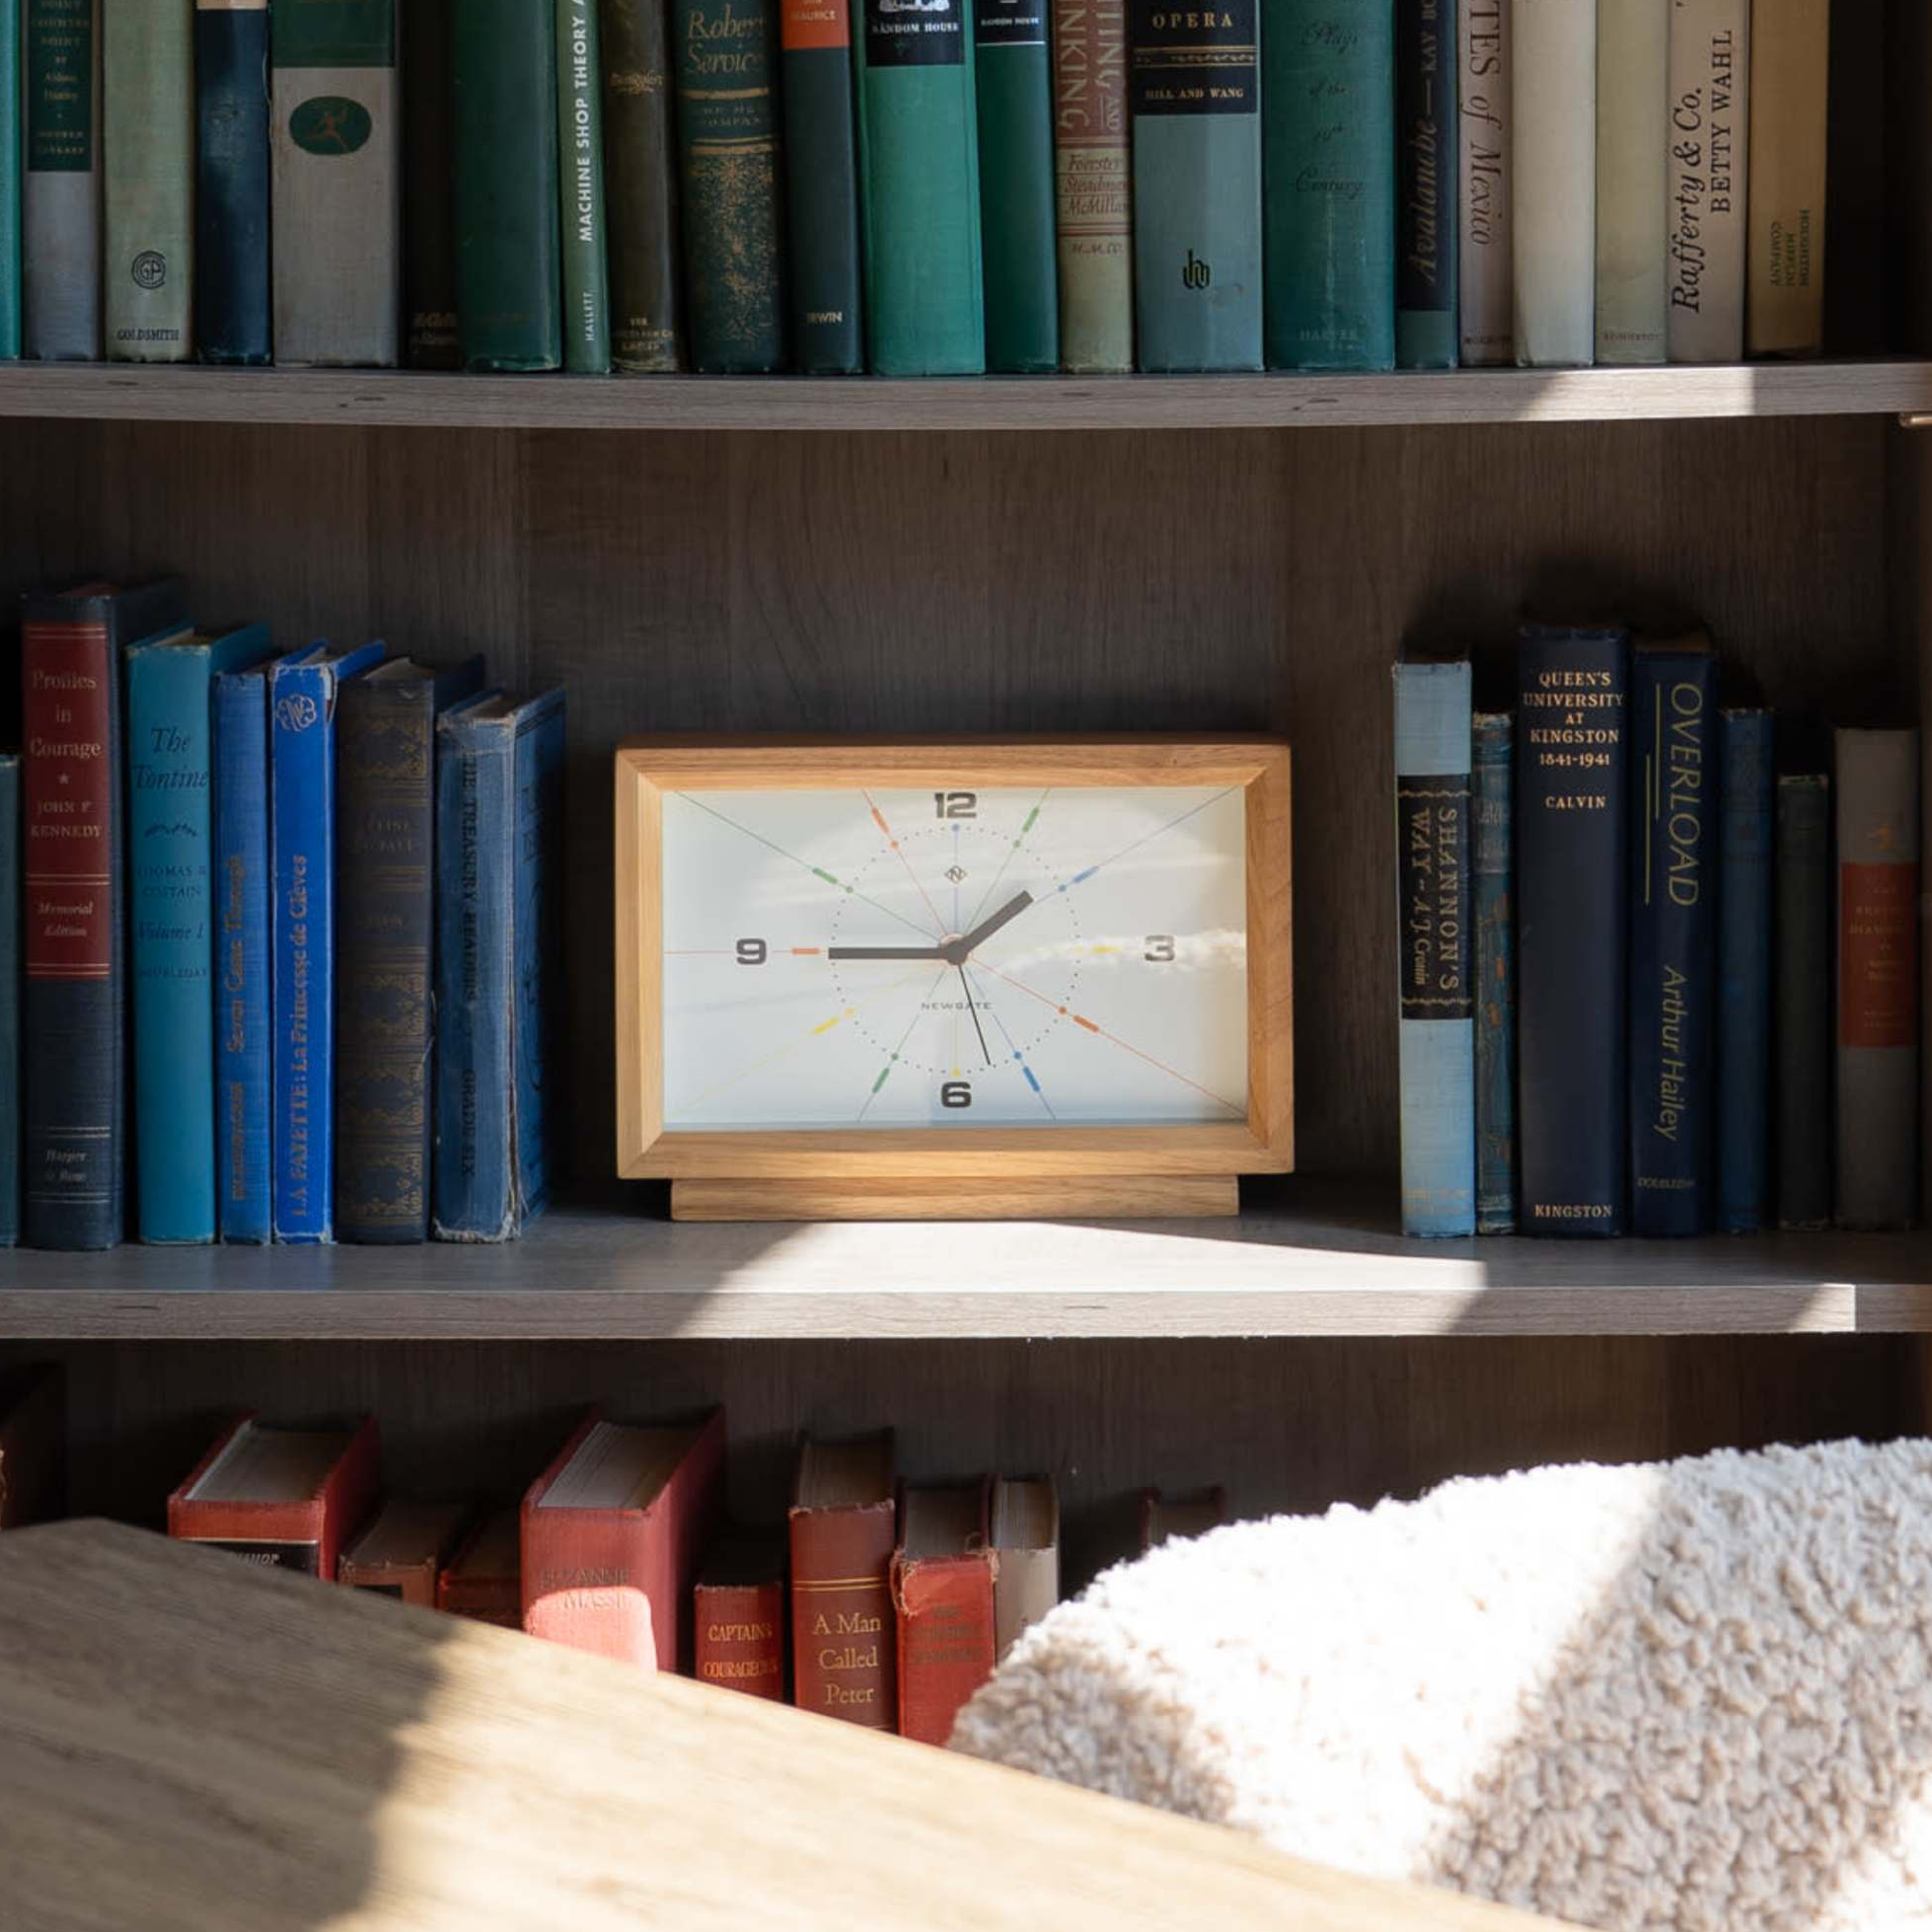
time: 1:45
